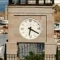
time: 6:20
